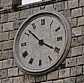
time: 3:52
